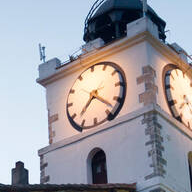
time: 7:22
